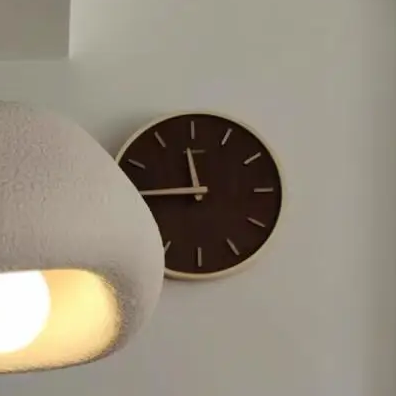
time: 11:45
